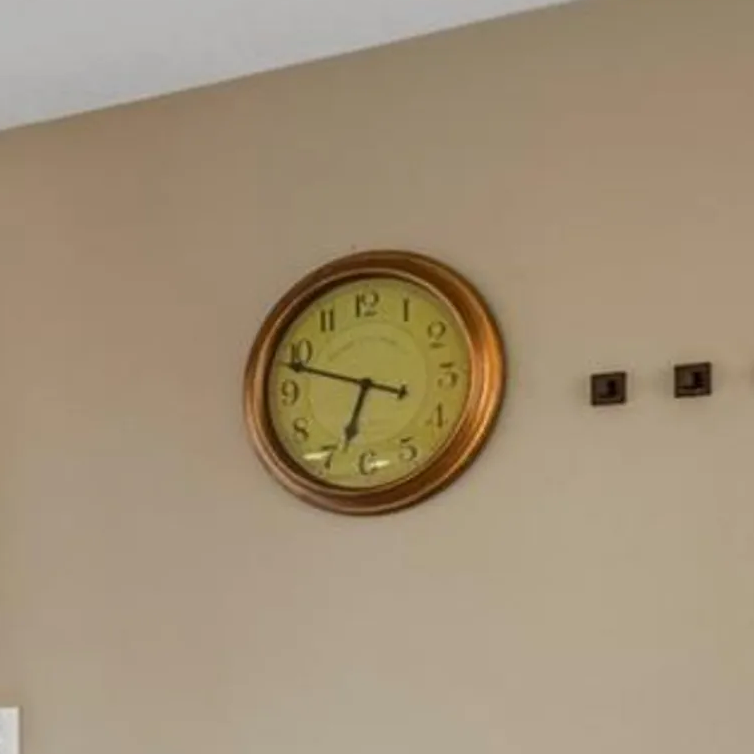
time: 6:48
